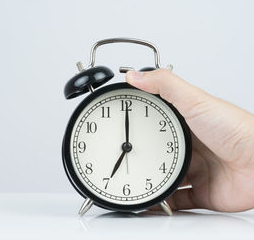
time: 7:00
